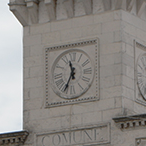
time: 11:34
